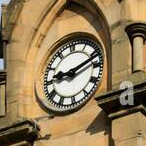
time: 9:11
